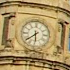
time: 5:38
